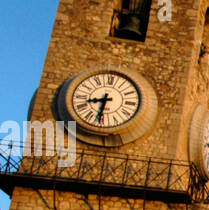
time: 8:31
